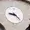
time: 9:23
